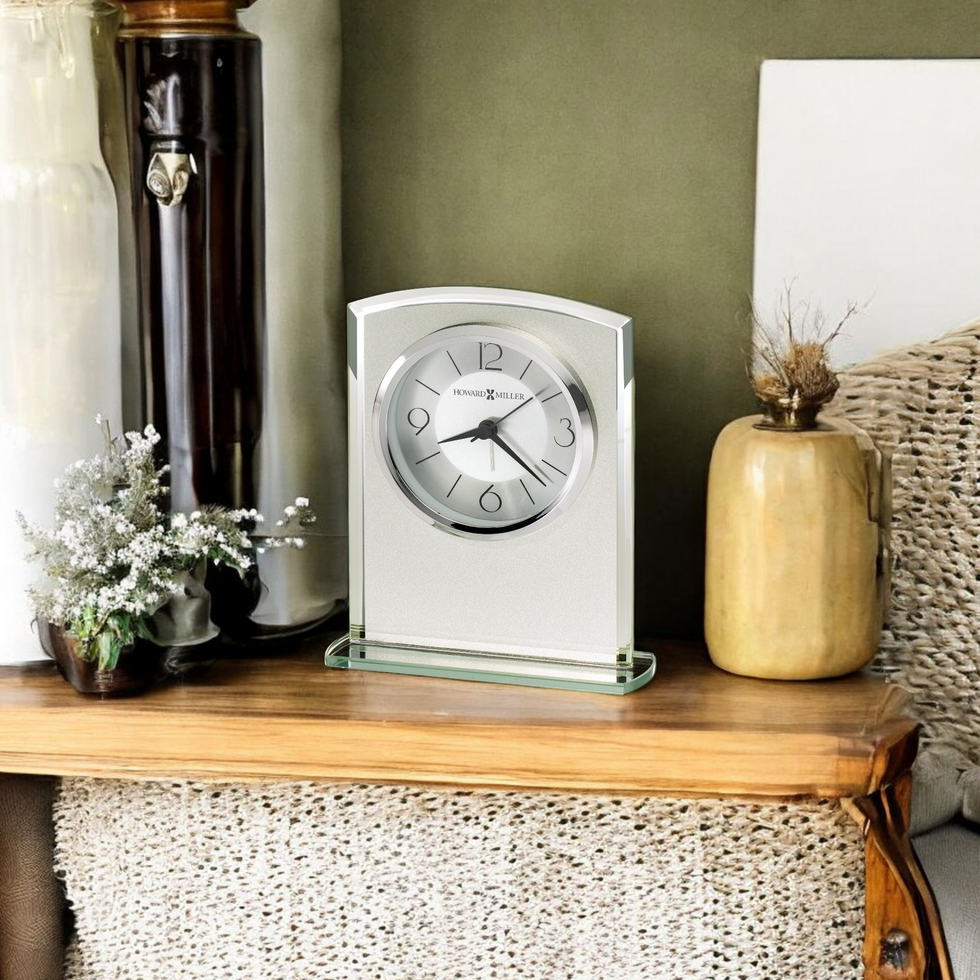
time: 8:21
